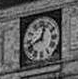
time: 12:41
